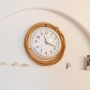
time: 11:18
